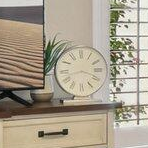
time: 3:42
